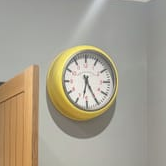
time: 6:25
